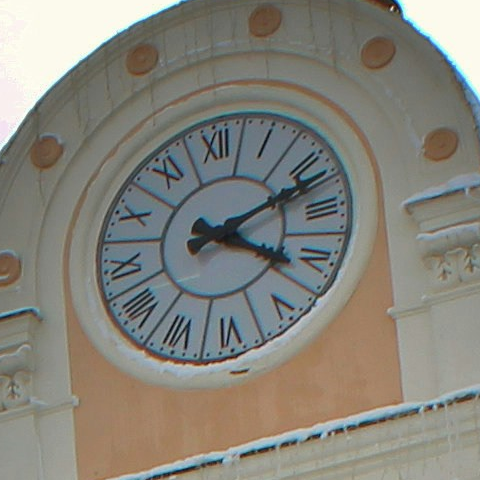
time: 4:11
